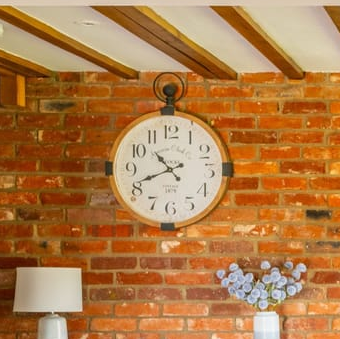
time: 10:41
